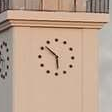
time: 5:51
